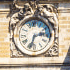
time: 2:33
